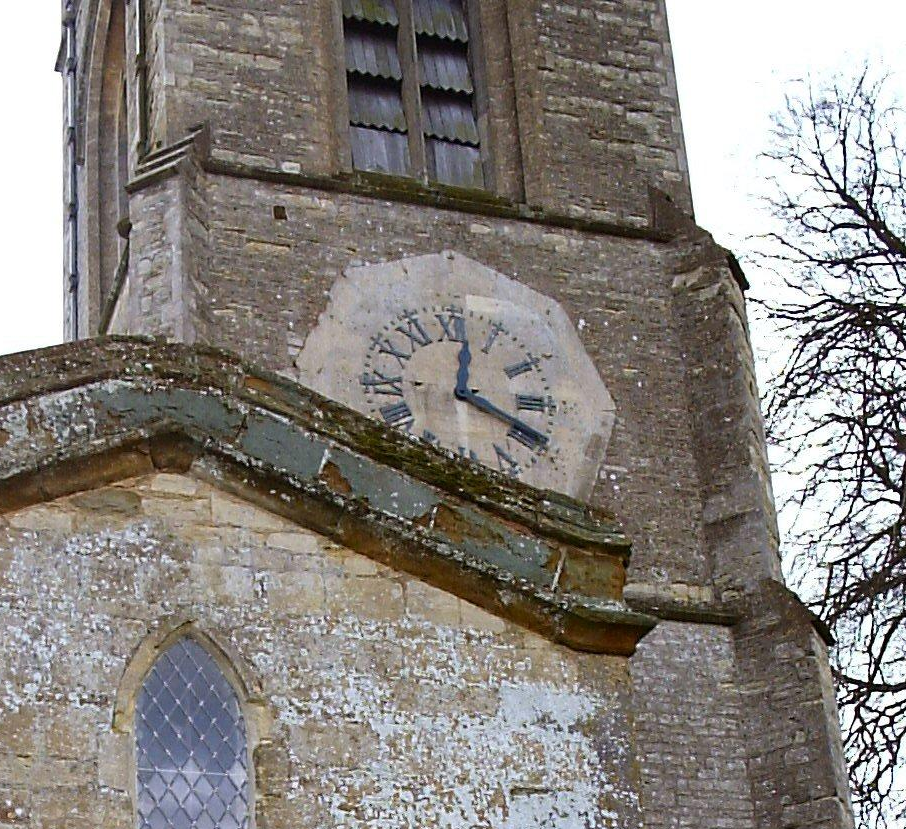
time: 12:19
